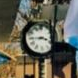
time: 3:44
